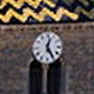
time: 12:24
